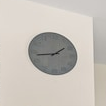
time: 1:43
